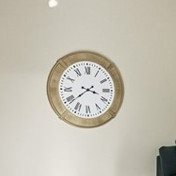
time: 3:38
